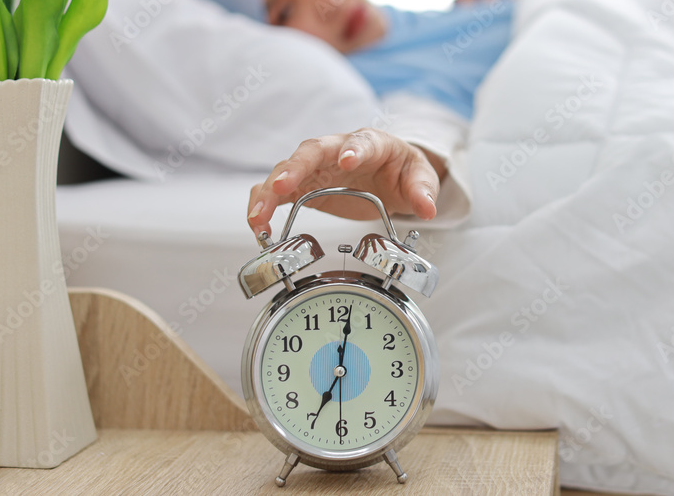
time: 7:01
